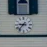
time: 8:36
